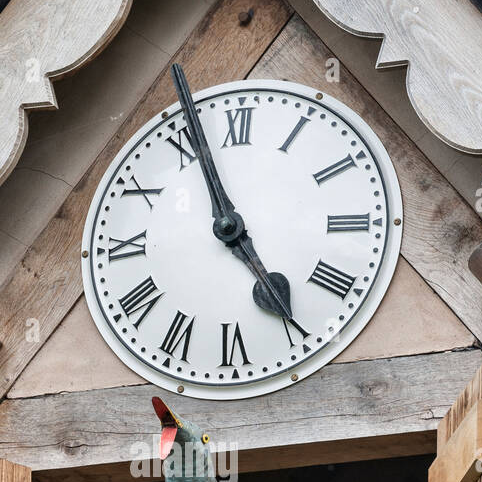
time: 4:56
